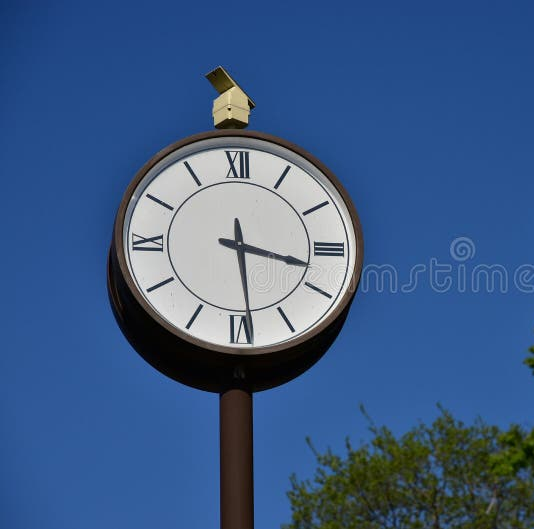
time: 3:28
